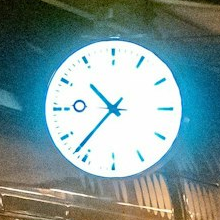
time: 10:36
